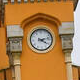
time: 4:12
